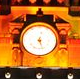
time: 12:27
